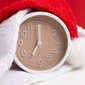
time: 7:00
